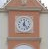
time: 12:23
